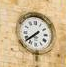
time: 7:38
